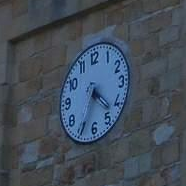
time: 4:34
